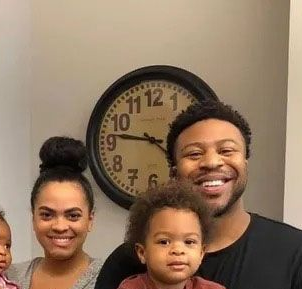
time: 1:46
